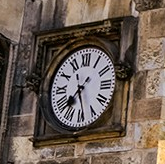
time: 7:28
